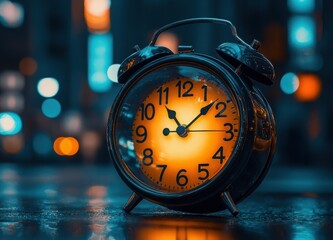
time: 11:08
